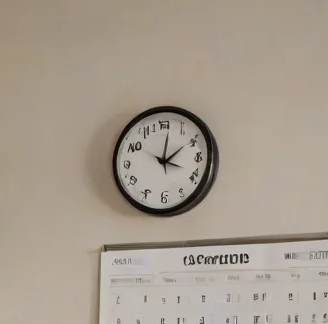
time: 2:01
